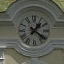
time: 1:21
